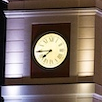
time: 7:44
